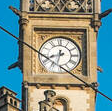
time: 8:32
